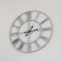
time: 1:13
